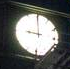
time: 8:59
